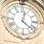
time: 12:21
